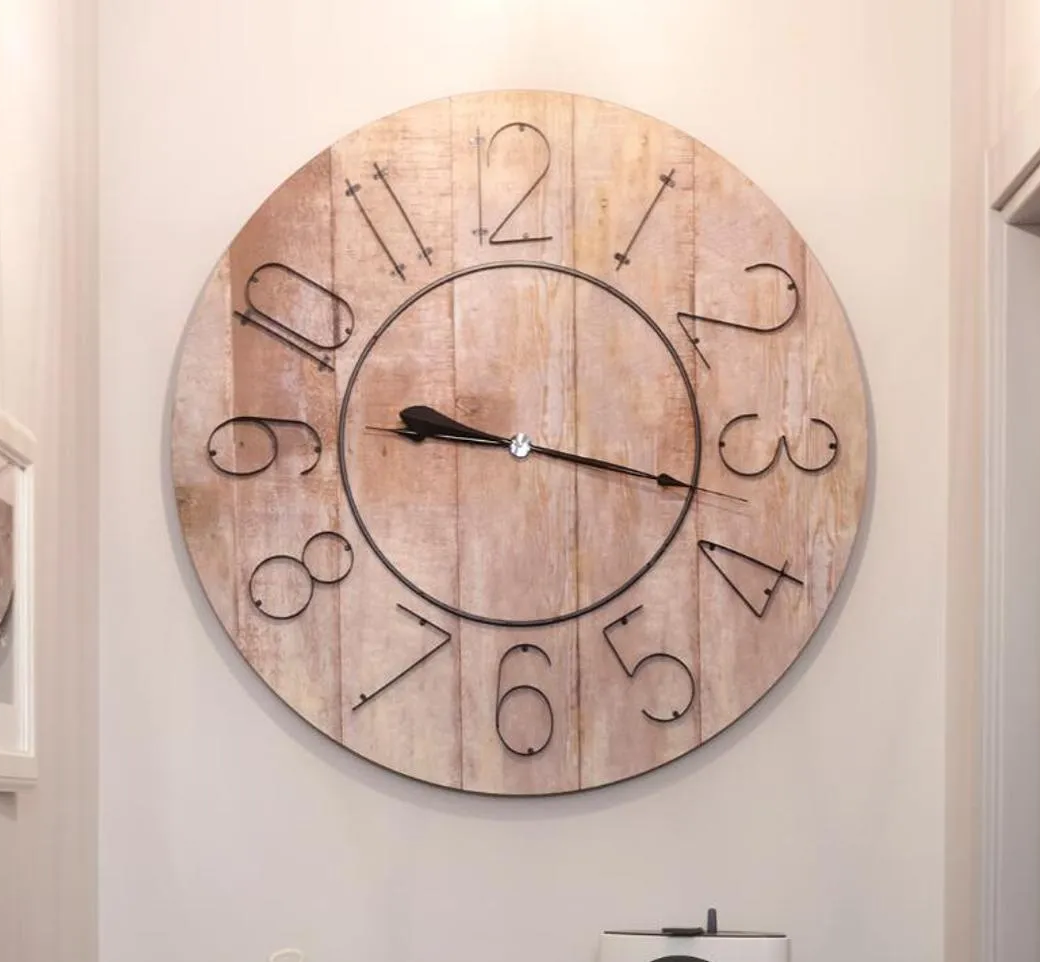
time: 9:17
